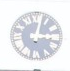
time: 3:02
